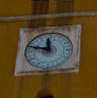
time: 11:48
